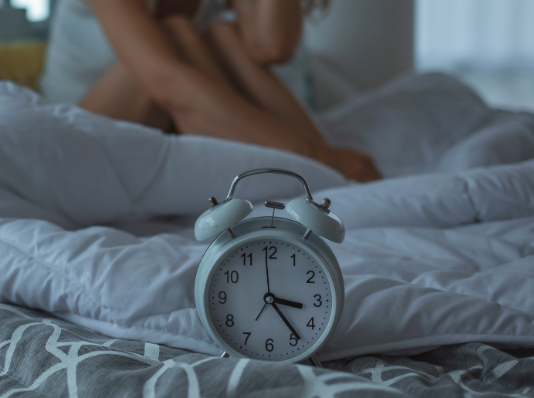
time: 3:23
